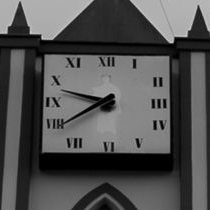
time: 9:39
